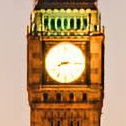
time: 8:15
